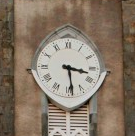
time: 3:28
